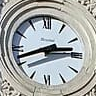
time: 2:41
